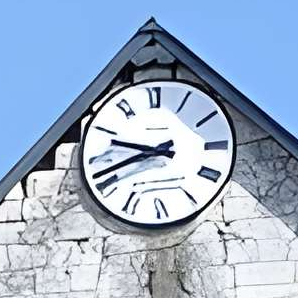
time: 9:42
